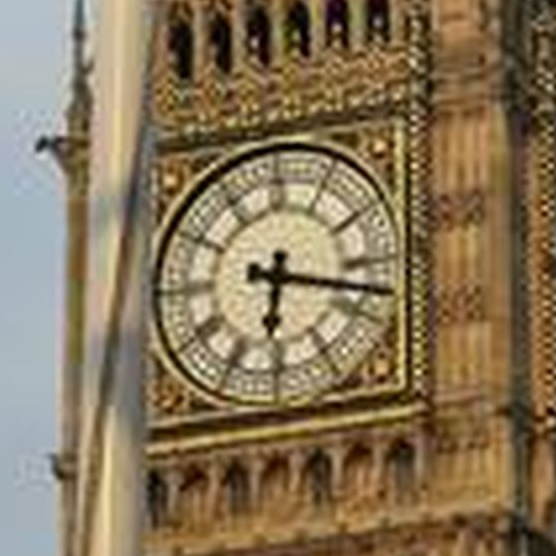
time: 6:17
